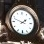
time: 1:47
